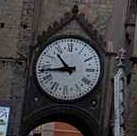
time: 10:43
